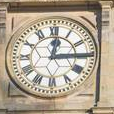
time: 12:14
